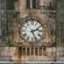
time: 2:26
